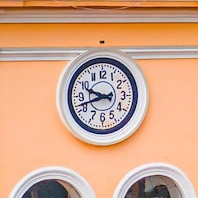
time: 9:42
